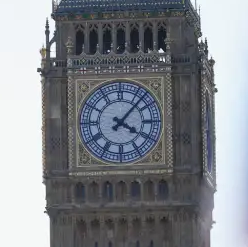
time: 4:07
